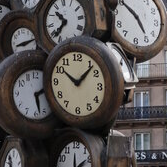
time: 10:07
